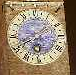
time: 1:40
